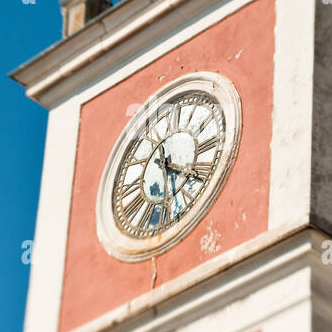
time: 11:20
